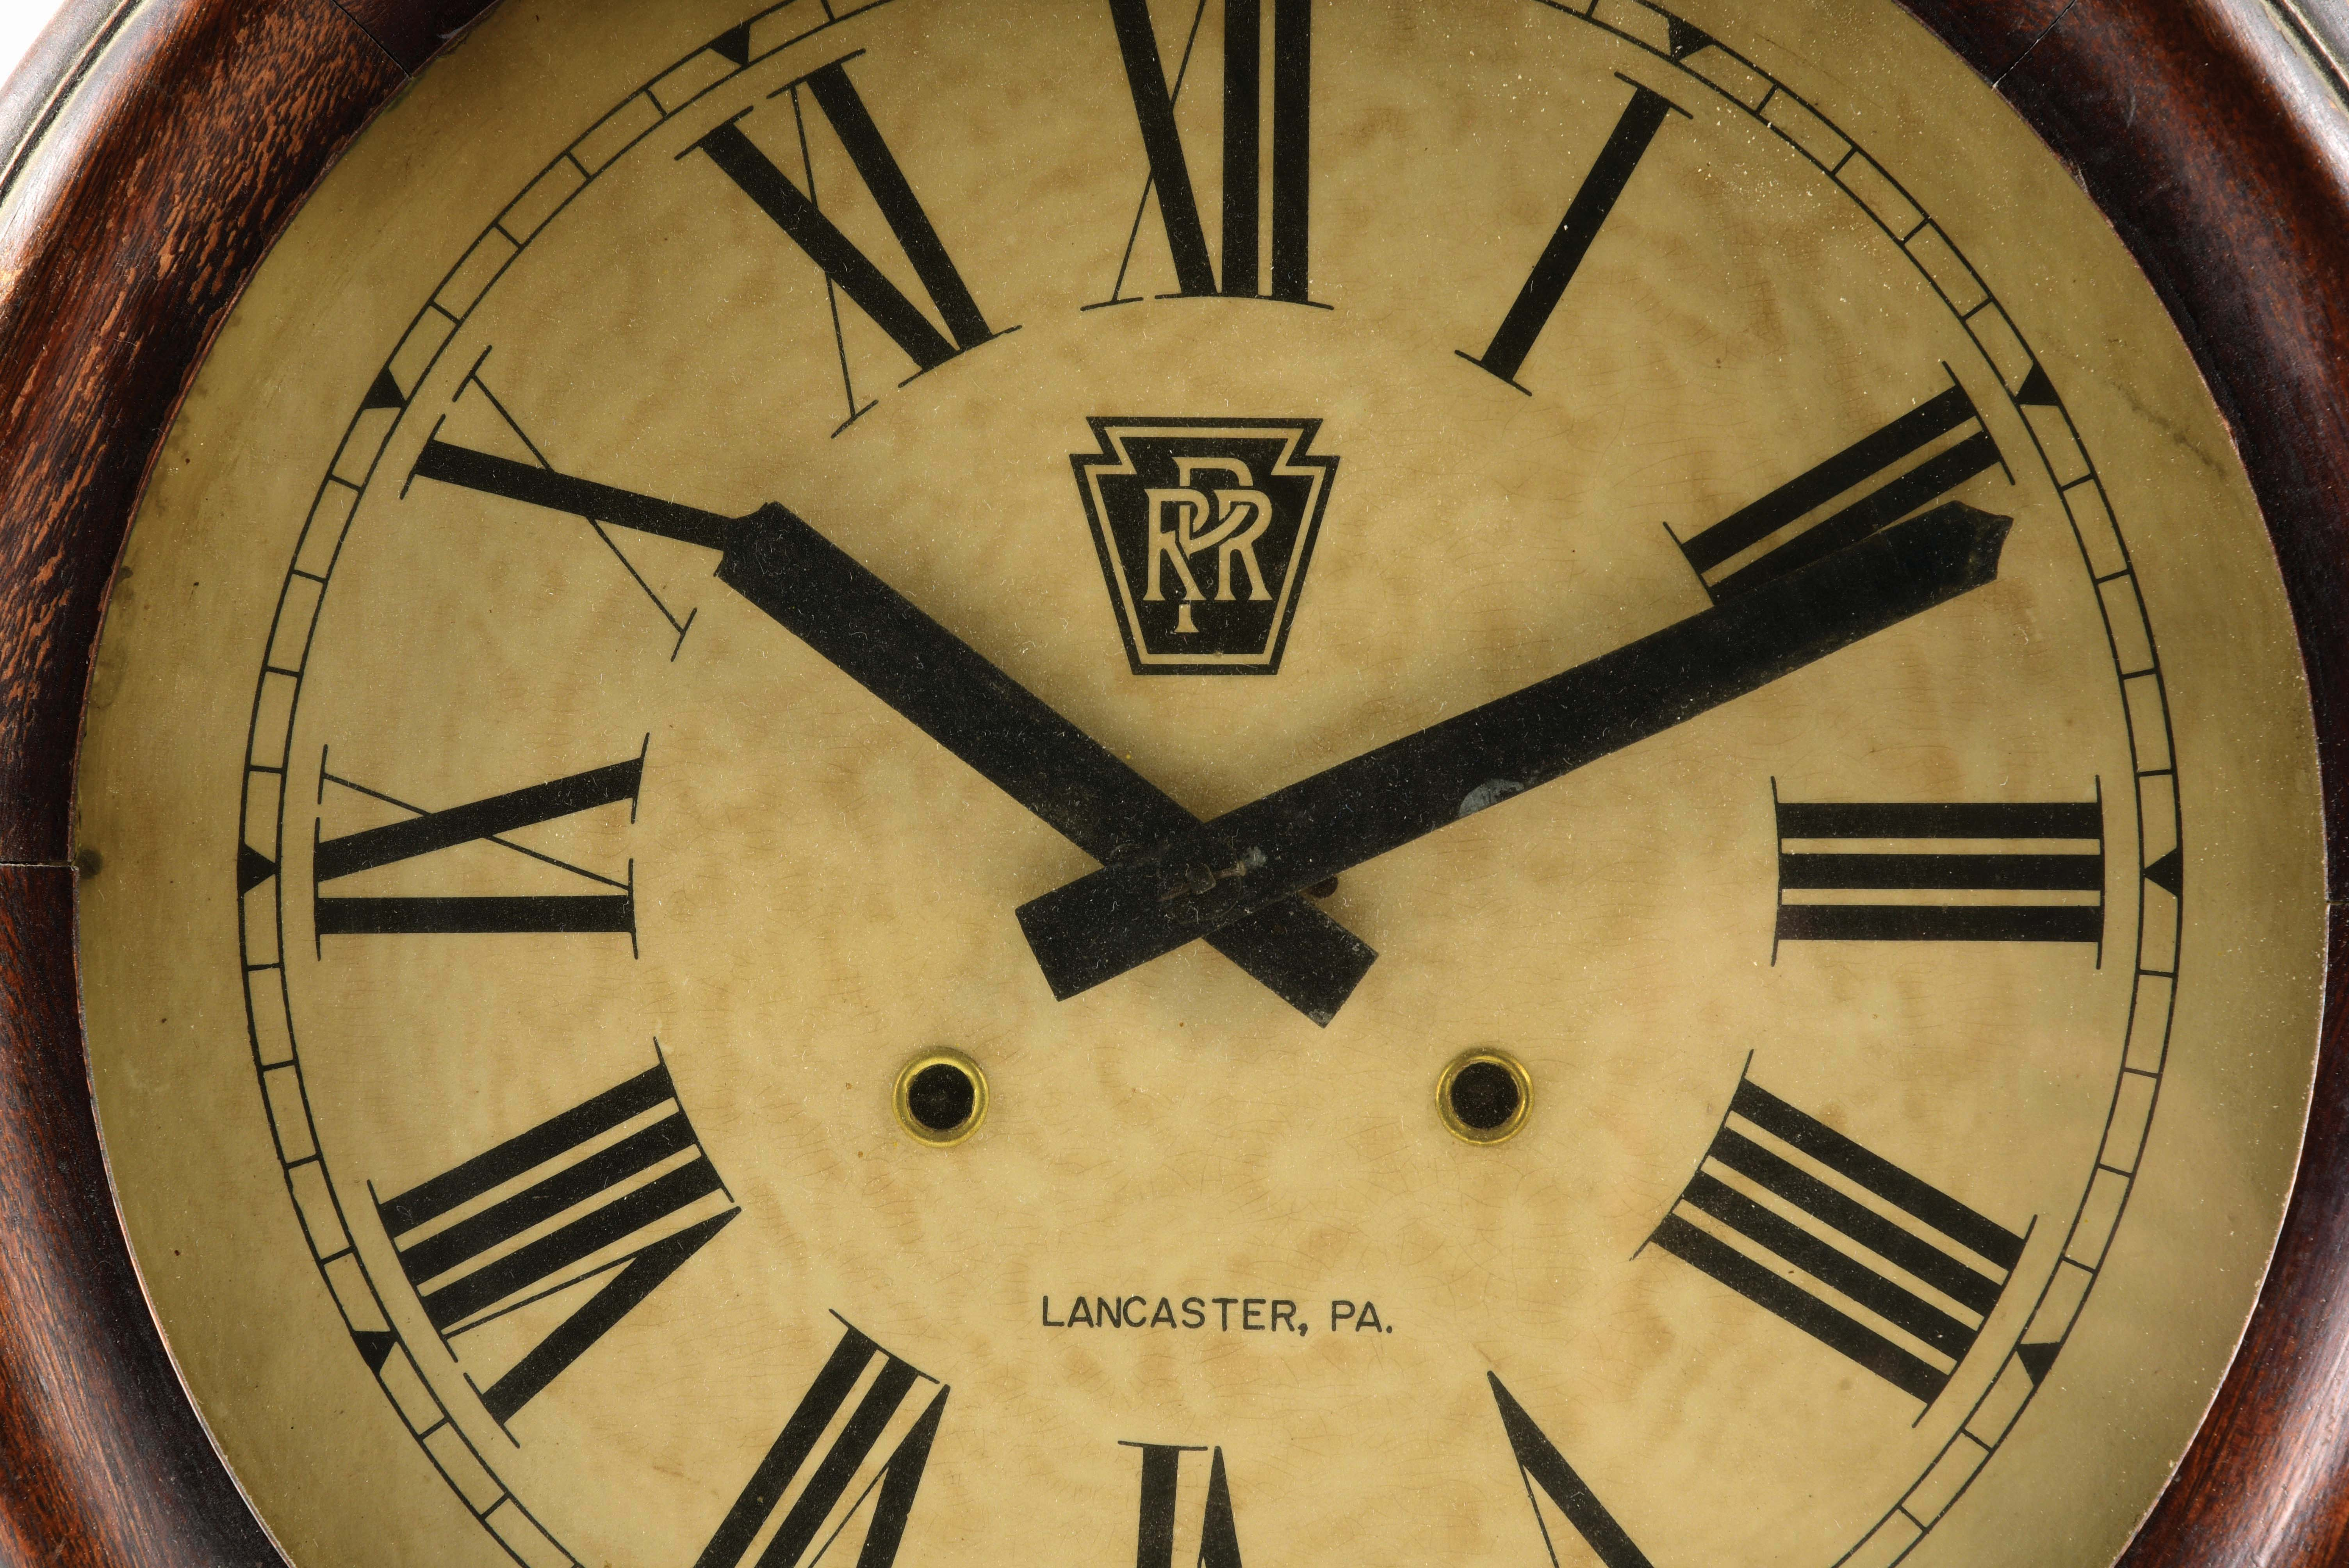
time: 10:10
